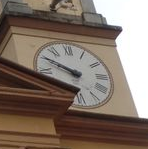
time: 9:50
